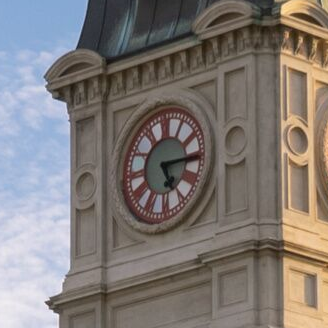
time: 5:15
